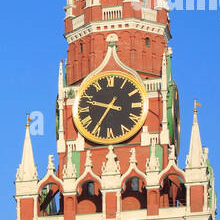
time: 9:35
